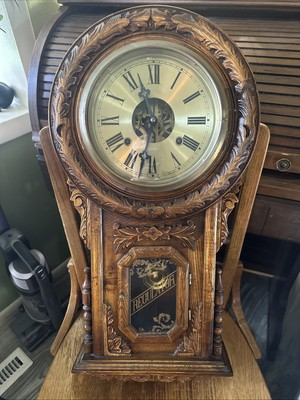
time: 11:32
